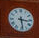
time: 3:28
